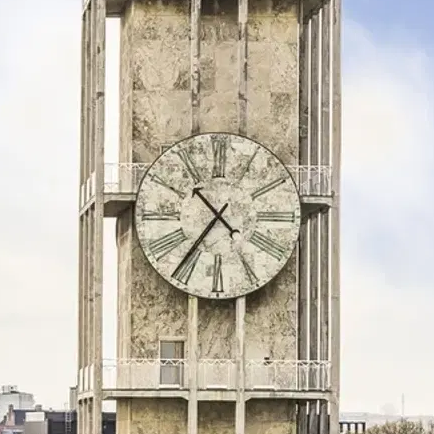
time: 10:36
